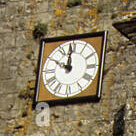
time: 9:59
